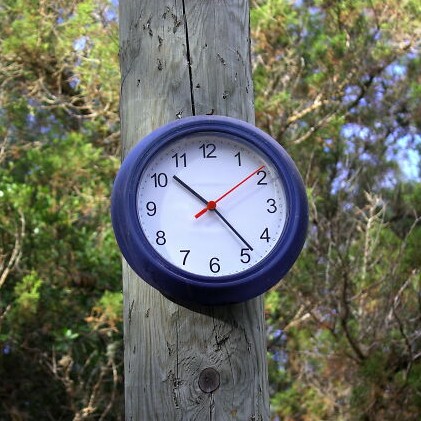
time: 10:23
